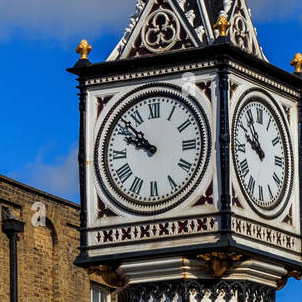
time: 9:52
